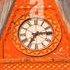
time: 7:13
